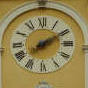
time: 2:09
